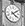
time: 4:09
